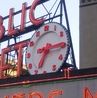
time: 7:15
